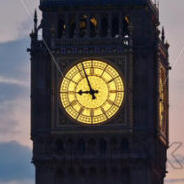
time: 8:56
